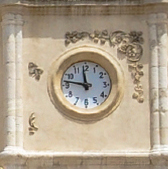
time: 11:46
